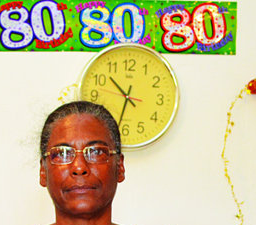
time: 10:32
